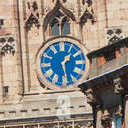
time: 1:28
